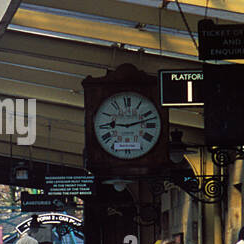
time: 9:12
